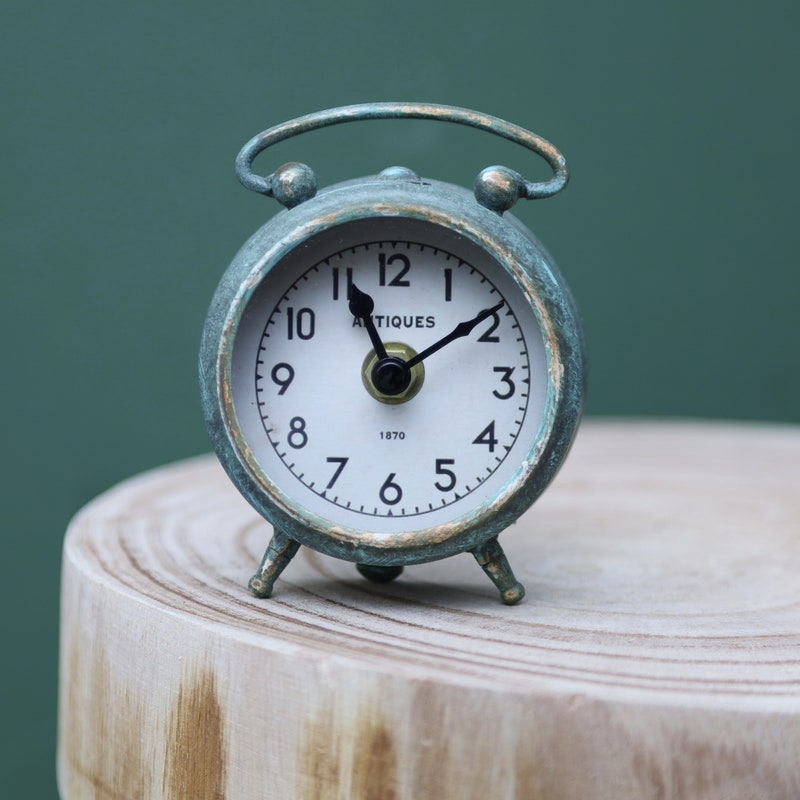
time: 11:09
